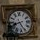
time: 8:25
